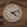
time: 4:11
